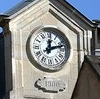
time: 12:11
